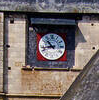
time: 10:42
